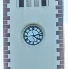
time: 4:12
